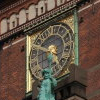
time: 4:49
